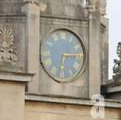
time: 6:14
